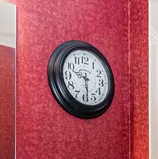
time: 9:28
